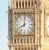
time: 8:01
